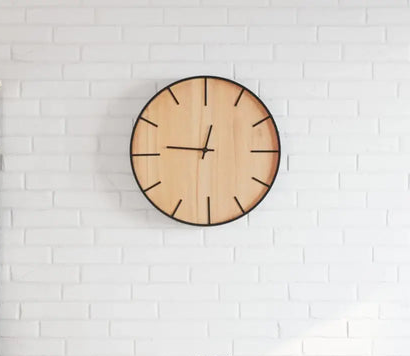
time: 12:46
